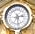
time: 2:27
